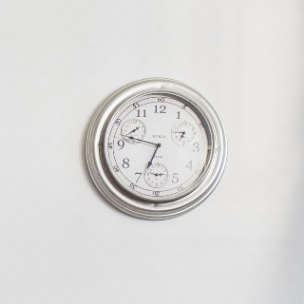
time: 6:47
